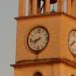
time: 7:42
